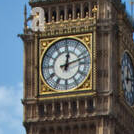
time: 12:12
